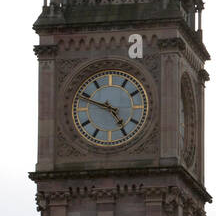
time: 4:48
